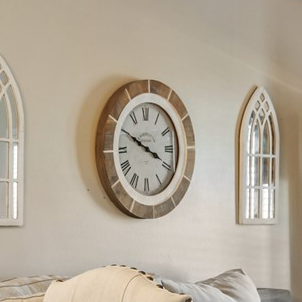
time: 3:49
